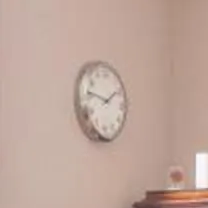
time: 1:46
